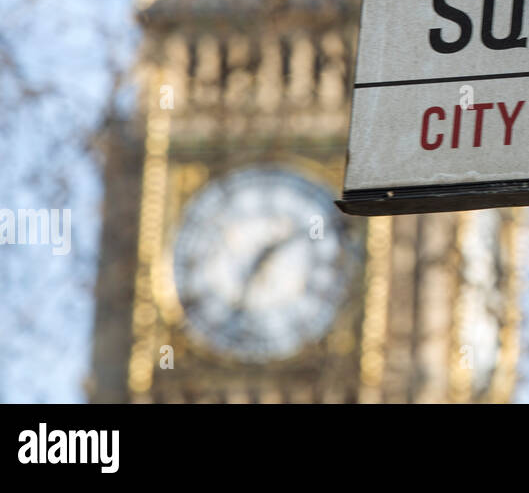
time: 1:33
